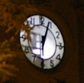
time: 6:03
